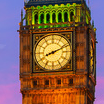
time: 8:11
